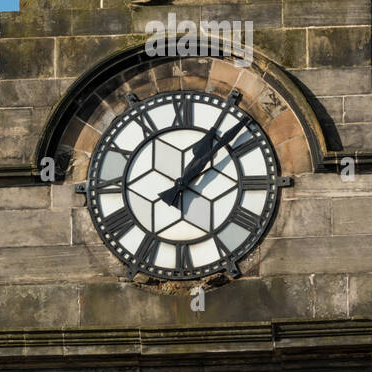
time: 1:07
